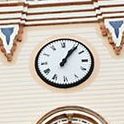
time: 1:06
